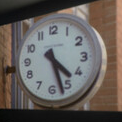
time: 4:27
